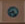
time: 8:23
